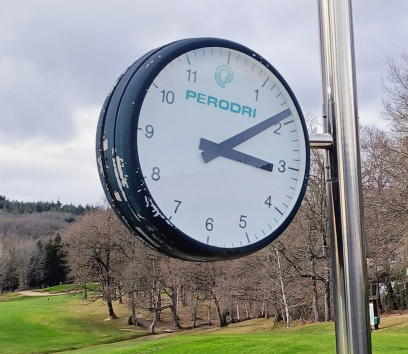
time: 3:09
